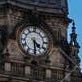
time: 4:29
